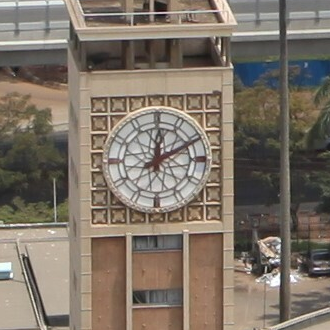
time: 12:10
